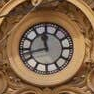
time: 11:42
